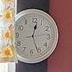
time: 12:26
